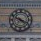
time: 3:50
